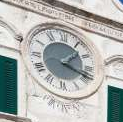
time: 1:18
